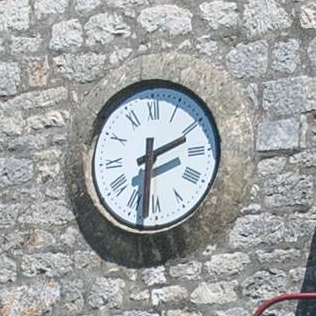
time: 2:31
